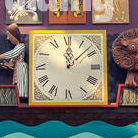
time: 12:07
